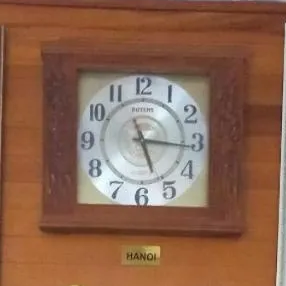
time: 5:15
